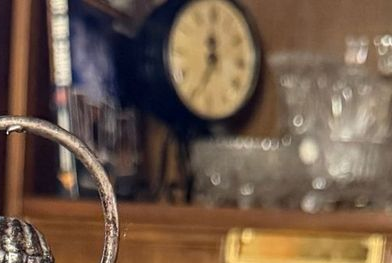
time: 11:34
